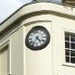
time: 4:36
